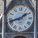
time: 1:42
